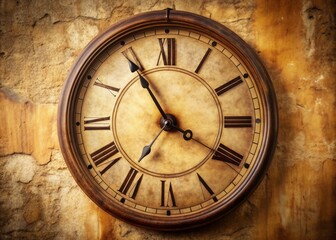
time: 3:54
